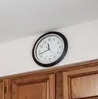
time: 11:42
